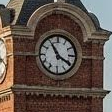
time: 3:54
